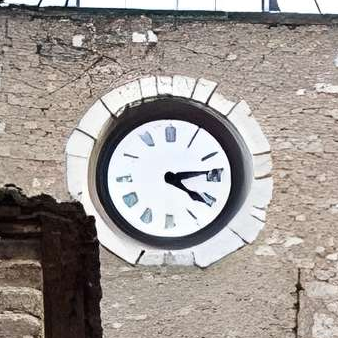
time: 4:14
